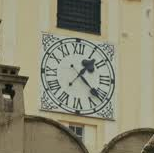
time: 1:21
